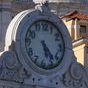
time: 5:23
